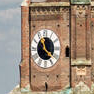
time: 11:21
